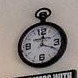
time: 12:19
